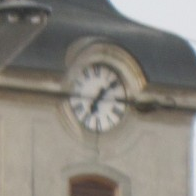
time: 7:08
